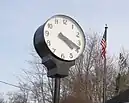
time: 4:18
